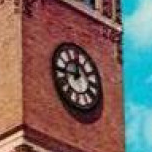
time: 11:44
